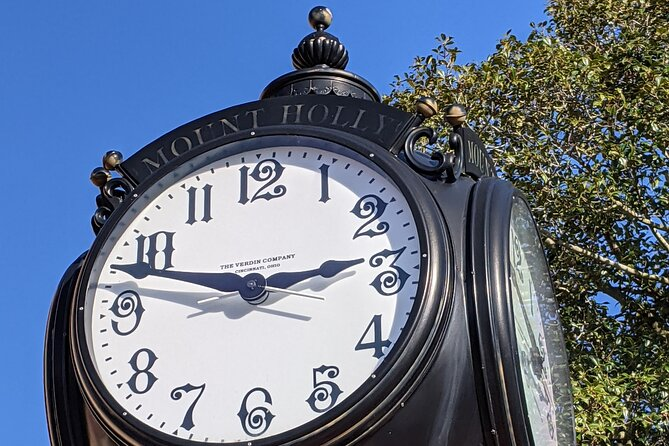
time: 2:48
